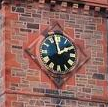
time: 1:57
